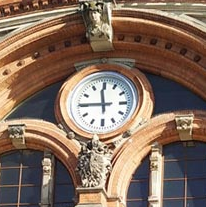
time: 11:45
